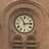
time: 11:13
